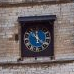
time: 11:22
